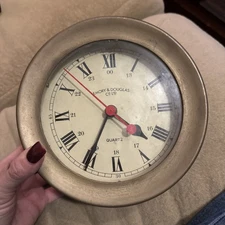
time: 4:34
